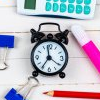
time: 11:35
